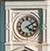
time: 4:09
